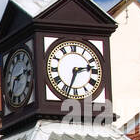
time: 2:33
